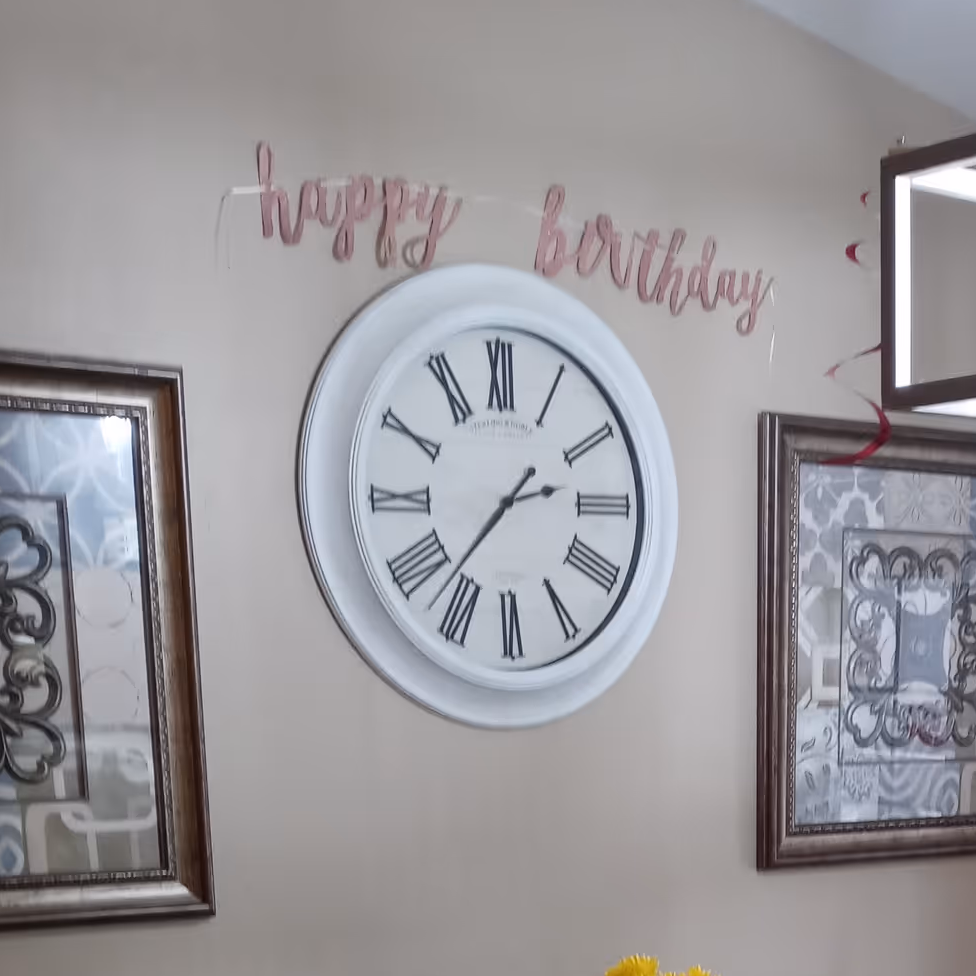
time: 2:37
